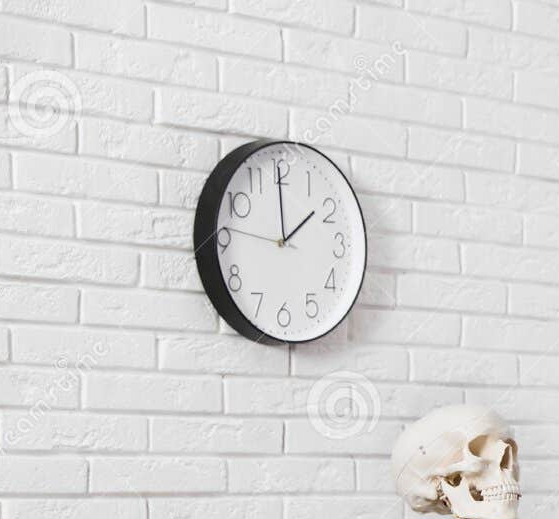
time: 1:59
